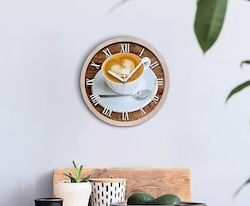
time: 10:07
